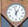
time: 12:57
